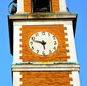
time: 5:47
